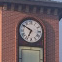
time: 6:50
